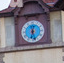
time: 6:27
